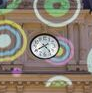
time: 4:40
